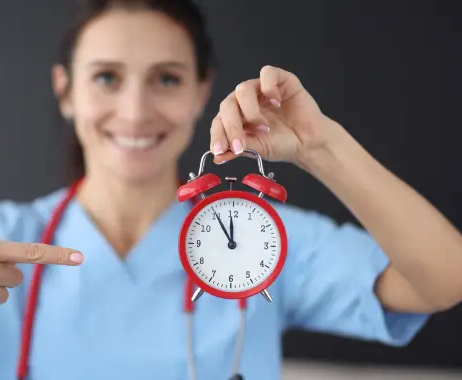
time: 11:54
